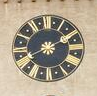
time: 2:09
